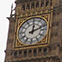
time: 12:11
